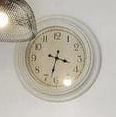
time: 3:32
